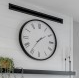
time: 1:35
